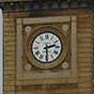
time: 2:29
